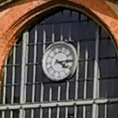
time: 4:14
